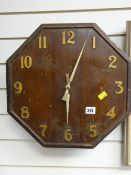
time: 6:03
